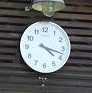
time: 4:17
